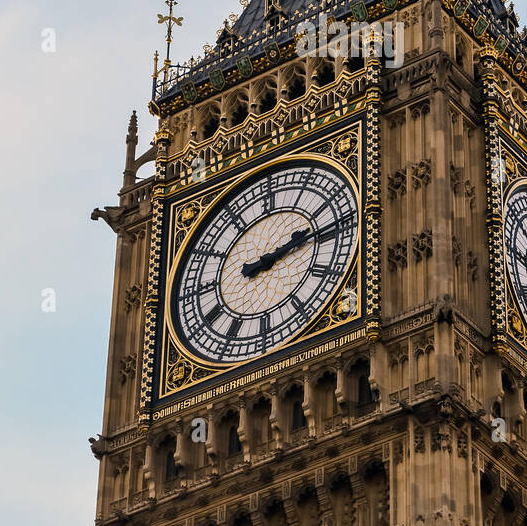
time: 2:13
